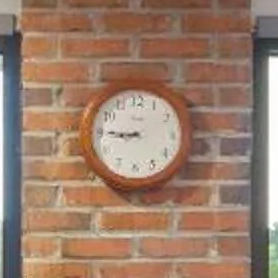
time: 8:45
